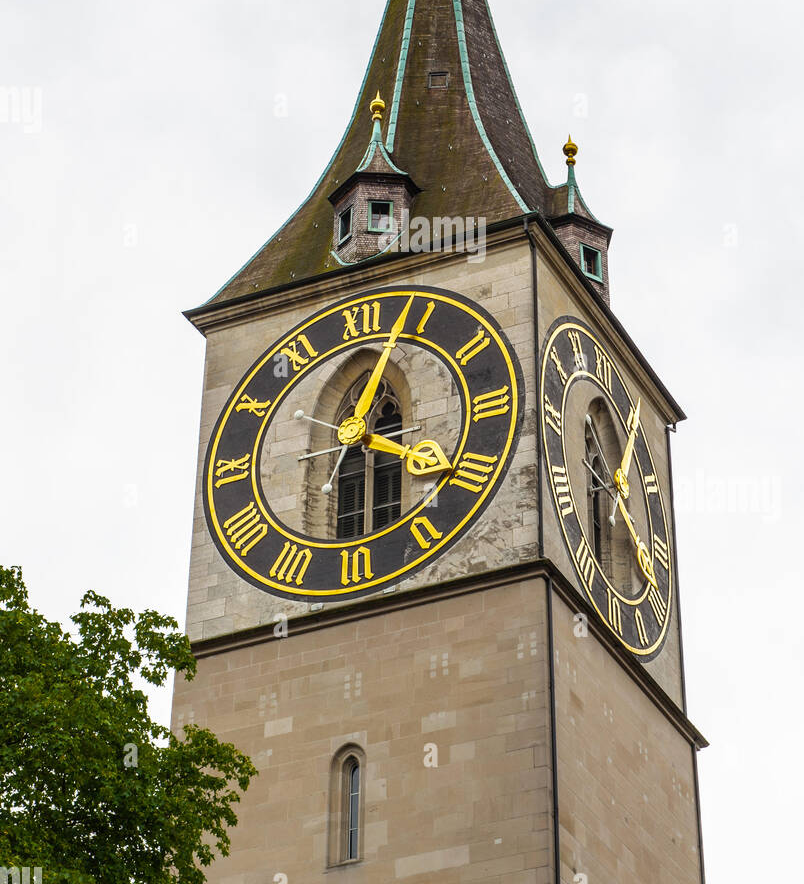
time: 6:03
